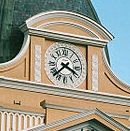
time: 3:37
